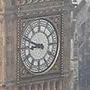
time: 8:48
